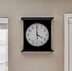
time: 3:59
